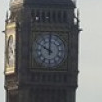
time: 10:00
